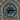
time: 7:15
